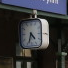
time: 4:33
